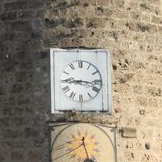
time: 9:16
